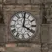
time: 4:01
